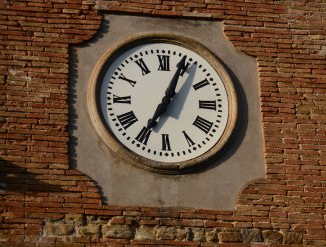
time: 7:04
